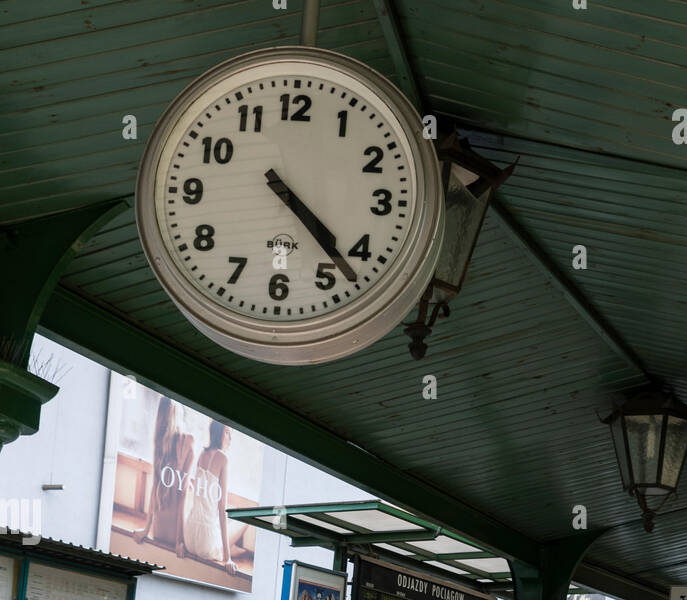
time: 4:22
